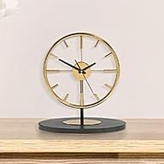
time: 1:50
